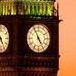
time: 4:55
